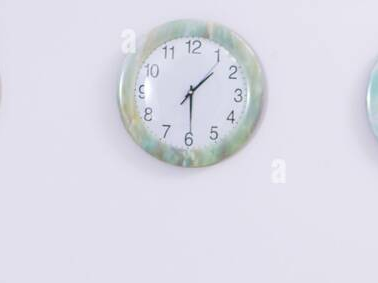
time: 1:29
